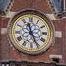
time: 11:25
